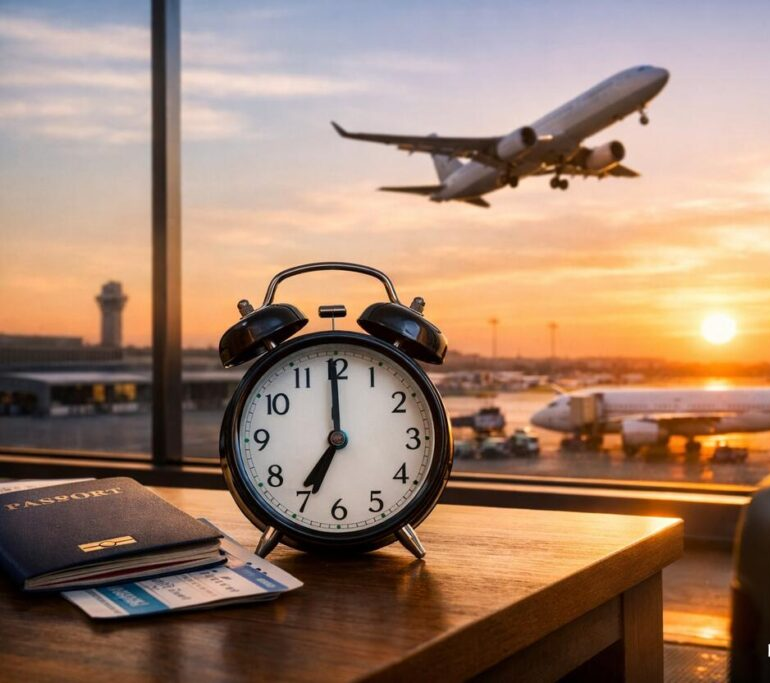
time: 7:00
